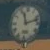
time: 11:12
